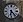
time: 6:23
